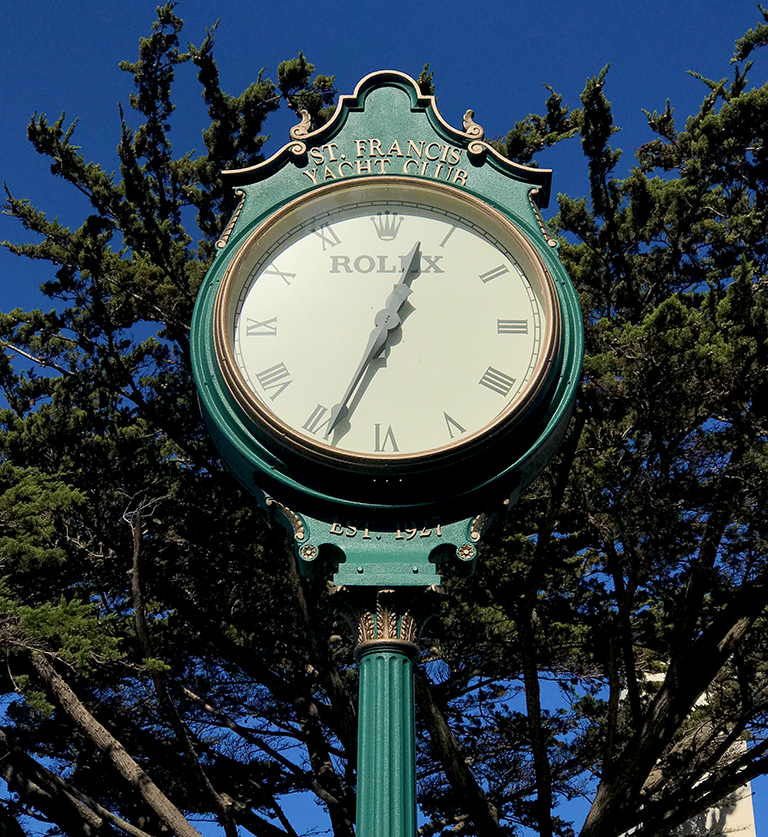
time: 12:34
